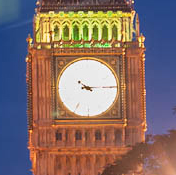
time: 4:14
